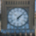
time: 6:07
